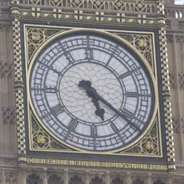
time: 5:21
